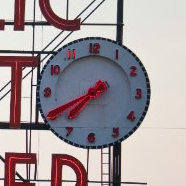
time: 7:41
